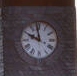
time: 9:58
